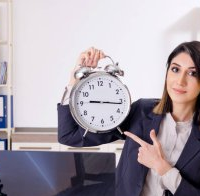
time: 9:16
